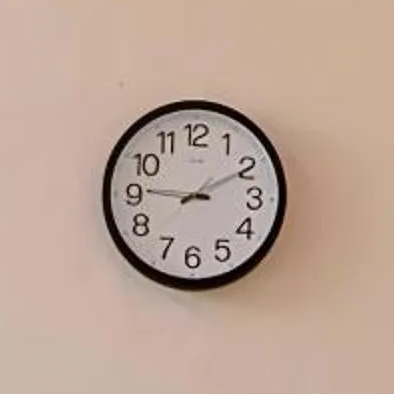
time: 9:10
